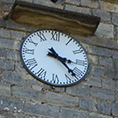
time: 3:22
